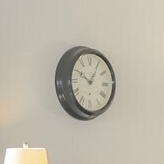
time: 10:05
